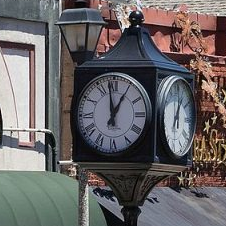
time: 12:58
